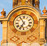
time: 6:55
